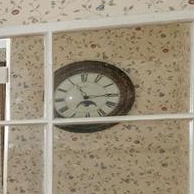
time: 5:14
